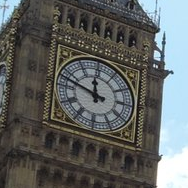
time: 11:47
